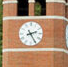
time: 2:25
